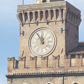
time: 11:55
